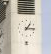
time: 1:16
